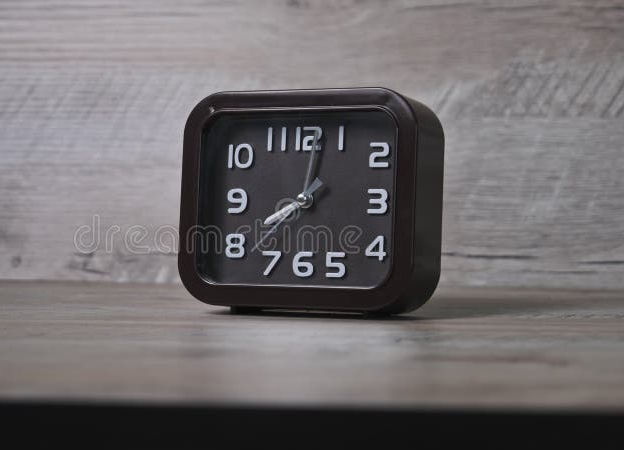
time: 8:02
